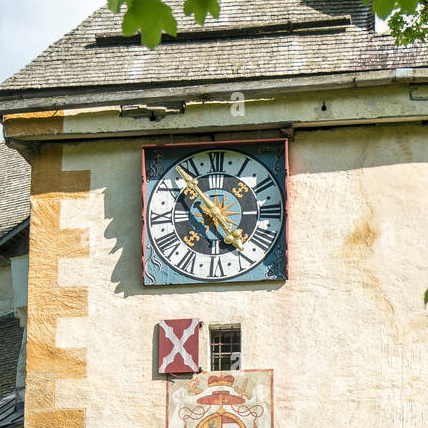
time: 4:52
